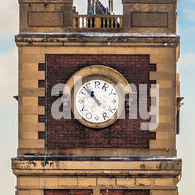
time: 10:52
